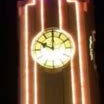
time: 10:00
